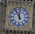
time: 11:55
